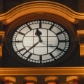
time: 11:37
